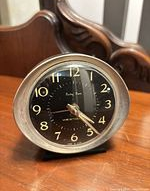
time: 4:23
